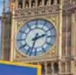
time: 2:32
